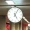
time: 5:05
